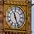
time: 11:26
